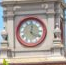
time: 4:01
